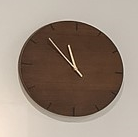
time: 11:52
